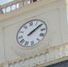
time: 2:09
